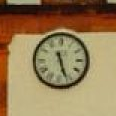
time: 11:26
